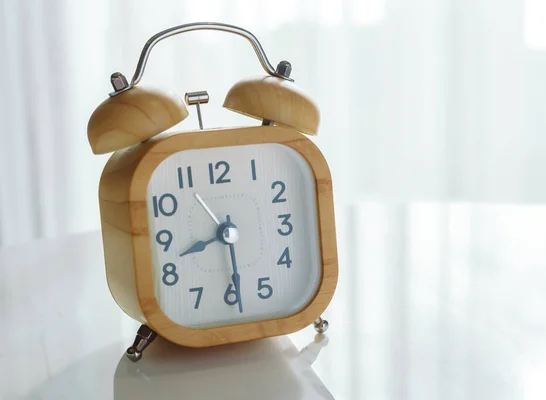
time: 8:29
